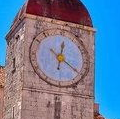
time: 12:20
